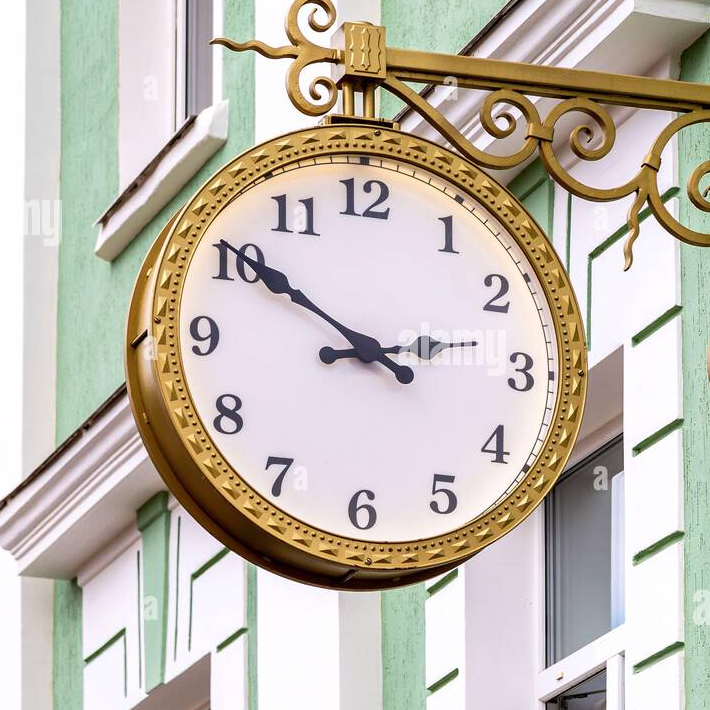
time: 2:50
